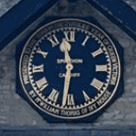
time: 11:31
